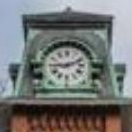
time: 9:11
